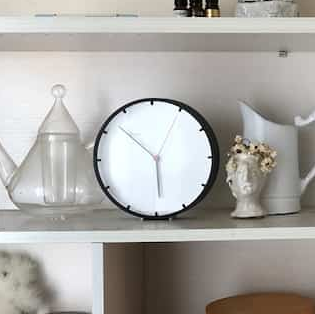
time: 5:52
